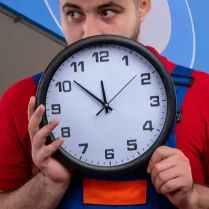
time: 11:51
